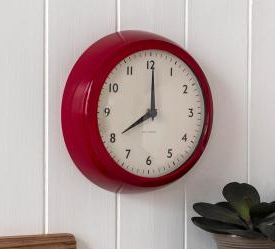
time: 8:00
